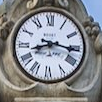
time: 8:16
